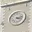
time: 3:12
